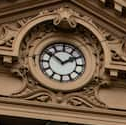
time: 1:50
